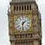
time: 1:32
